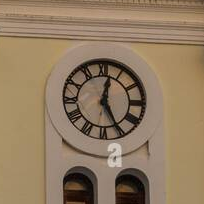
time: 12:25
